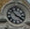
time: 3:52
